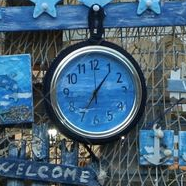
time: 7:06
